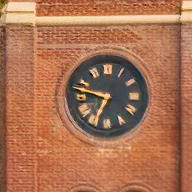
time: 6:47
